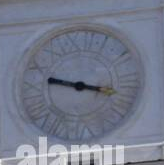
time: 9:17
